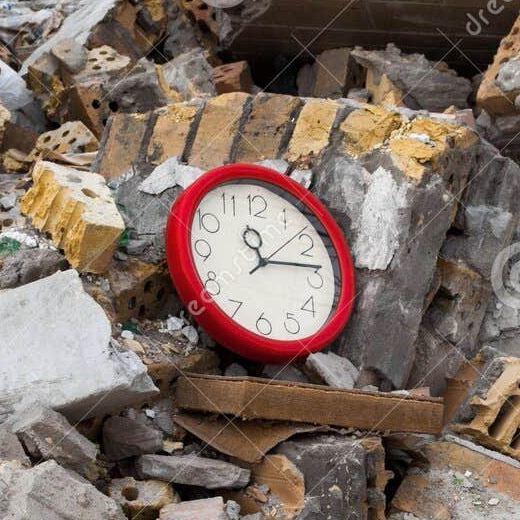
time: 11:13
